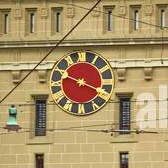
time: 3:48
